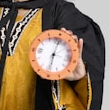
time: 6:01
